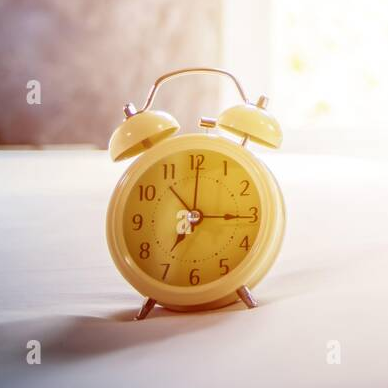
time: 7:15
